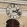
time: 2:18
